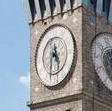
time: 4:31
